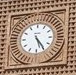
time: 5:24
